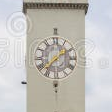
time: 1:37
